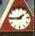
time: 1:44
